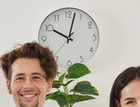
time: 10:02
